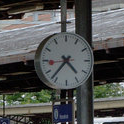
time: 4:36
